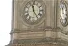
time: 11:24
